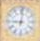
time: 9:01
